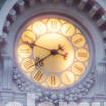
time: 7:46
